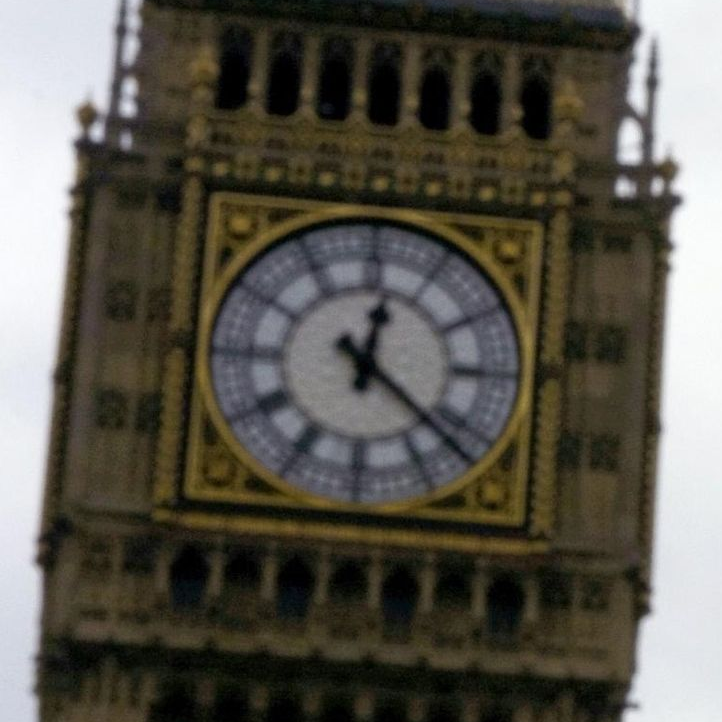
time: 12:22
